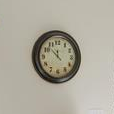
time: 11:52
